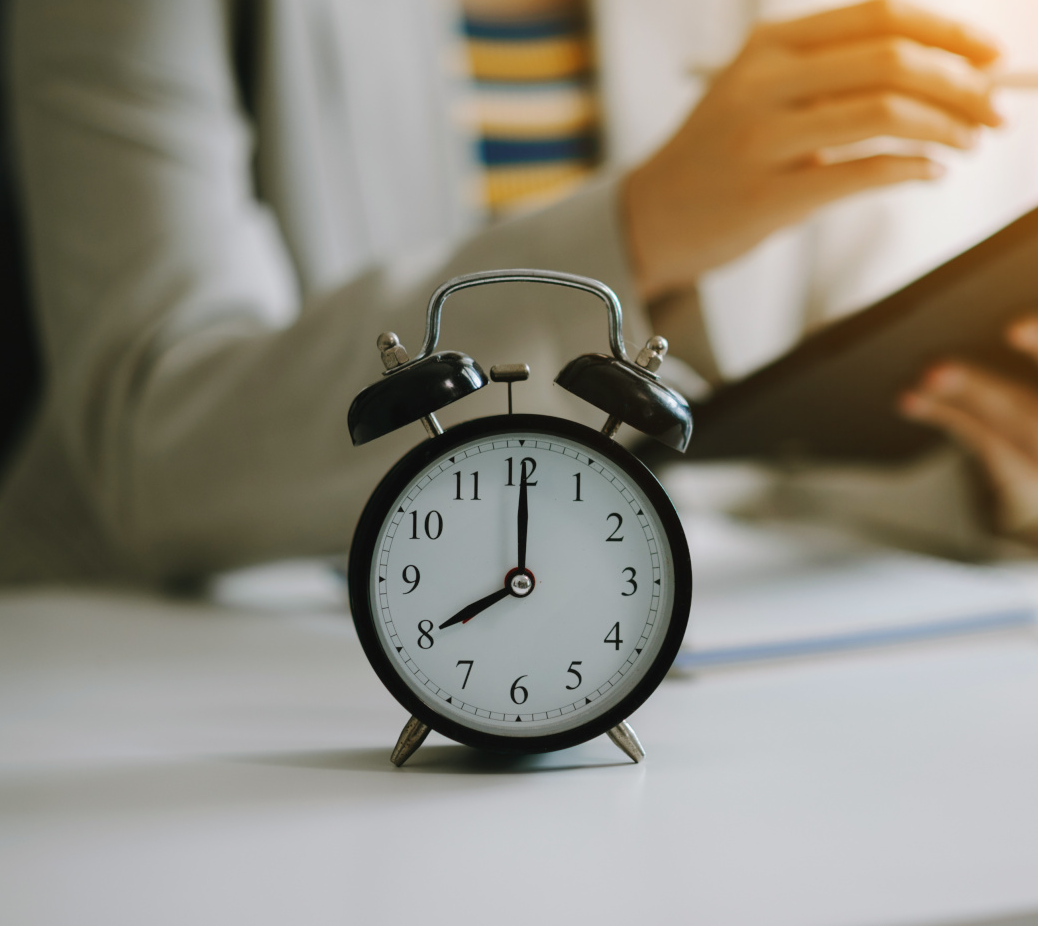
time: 8:00
